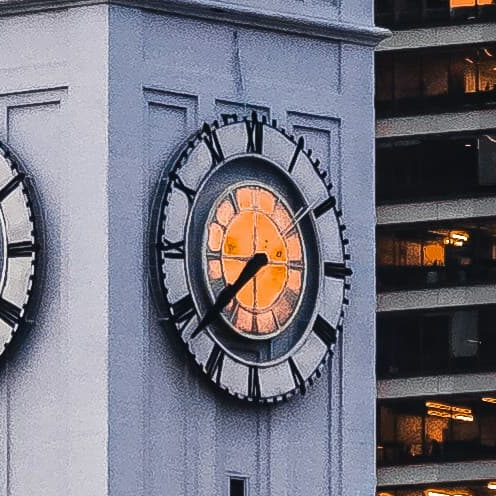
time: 7:38
